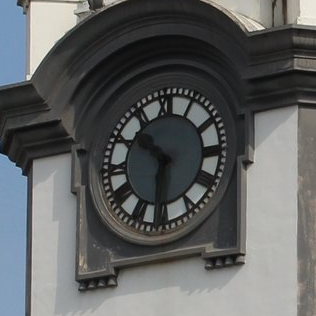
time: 10:31
